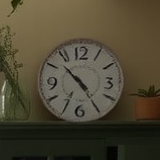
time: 4:52
